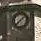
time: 1:37
